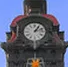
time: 1:11
